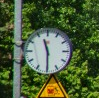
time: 11:29
